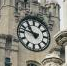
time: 10:47
